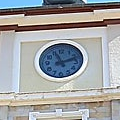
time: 11:11
